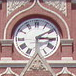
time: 3:09
